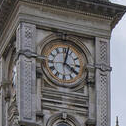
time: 4:02
